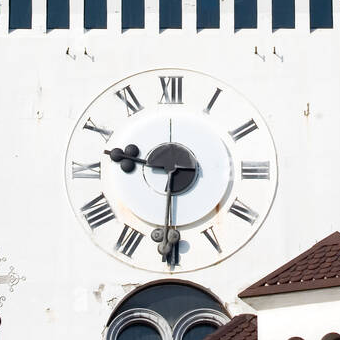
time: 9:31
